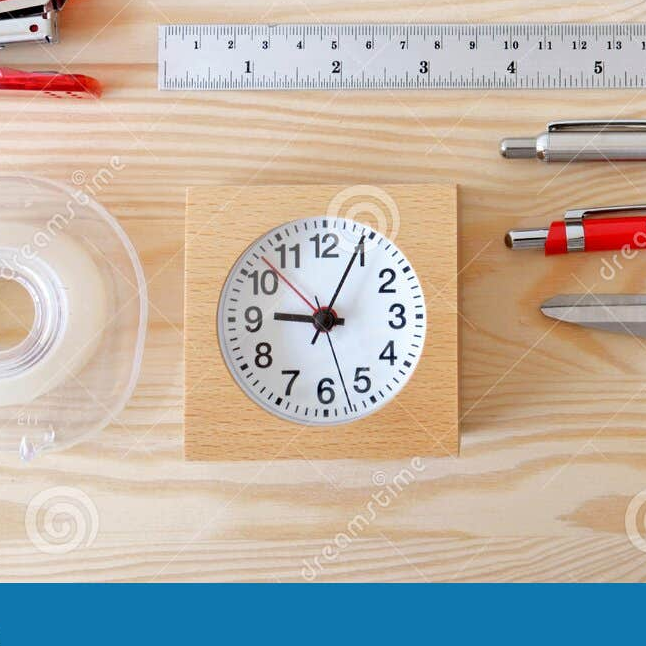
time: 9:04
